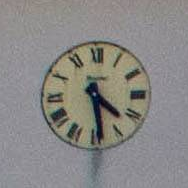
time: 4:28
